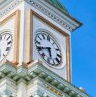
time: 5:40
